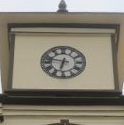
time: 6:47
